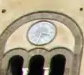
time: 3:32
